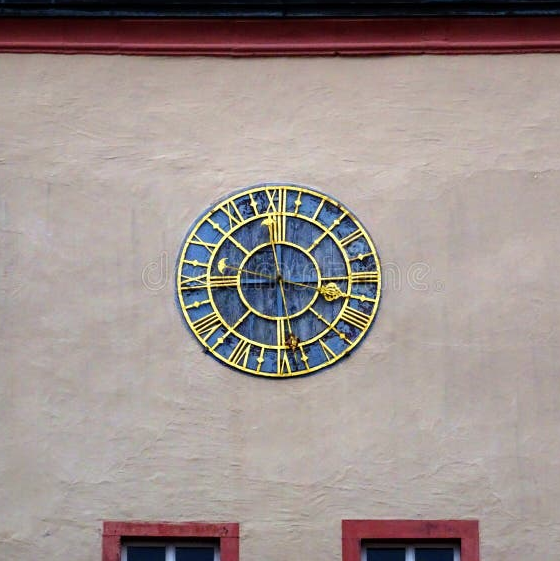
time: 2:58
